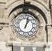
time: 1:02
